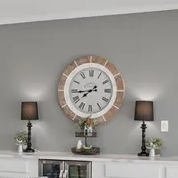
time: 7:44
